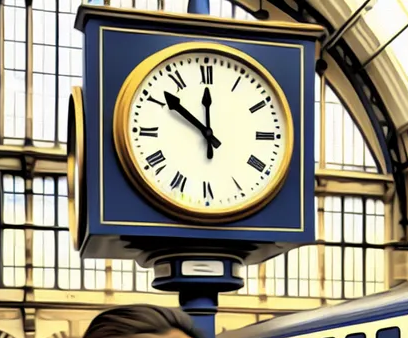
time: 11:51
